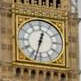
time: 12:32
